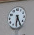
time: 6:25
